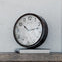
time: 10:12
